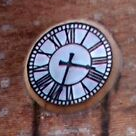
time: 3:33
